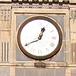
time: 12:40
